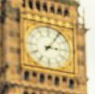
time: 3:05
